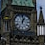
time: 1:00
